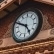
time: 4:48
